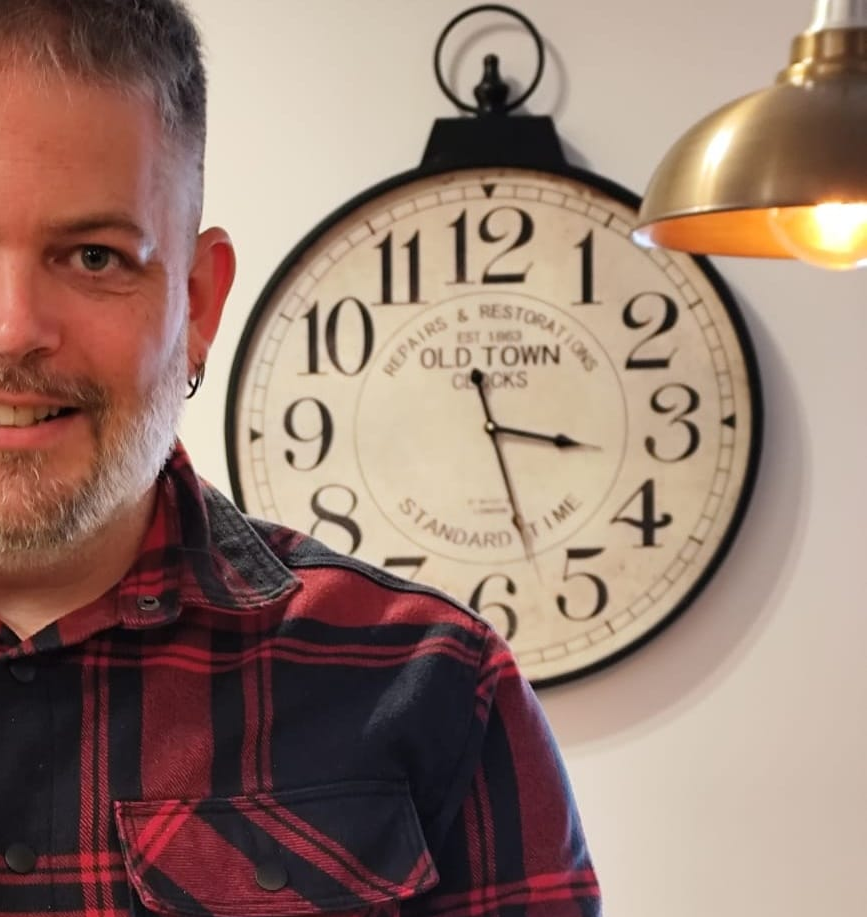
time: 3:27
